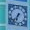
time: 6:36
